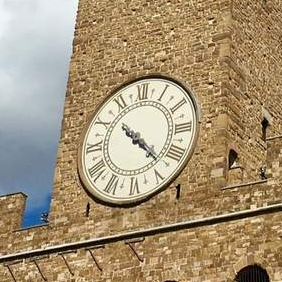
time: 10:22
